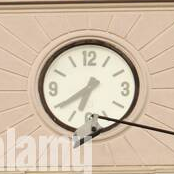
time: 6:39
